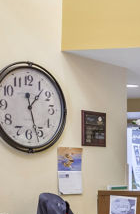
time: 1:27
